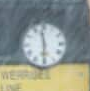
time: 11:29
